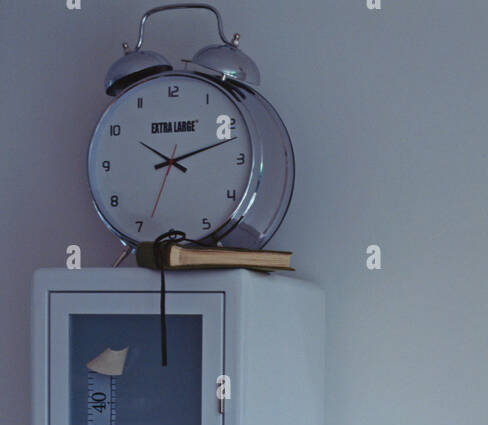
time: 10:12
